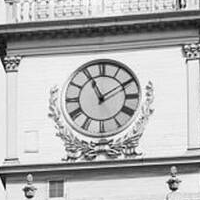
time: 11:09
